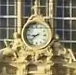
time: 8:38
